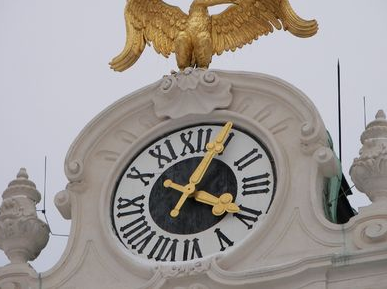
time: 4:04
